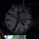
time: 4:34
